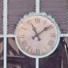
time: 11:08
